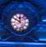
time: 11:50
